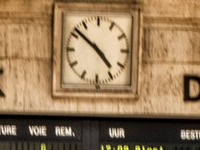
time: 4:51
